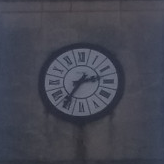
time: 2:35
